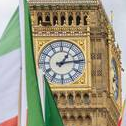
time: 1:13
